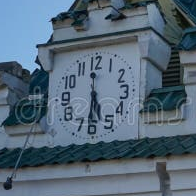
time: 5:31
